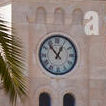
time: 12:53
